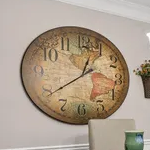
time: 12:39
